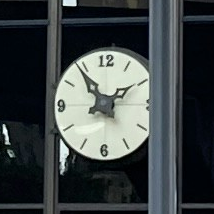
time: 1:53
